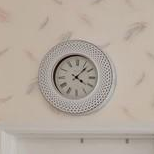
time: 4:07
